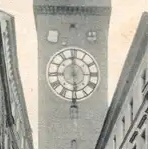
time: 5:59
